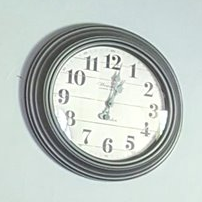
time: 1:01
